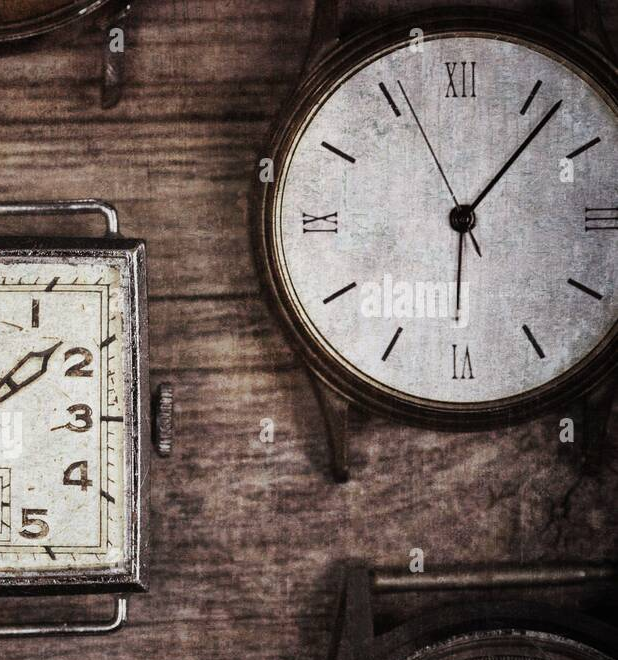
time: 6:06
